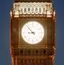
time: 8:53
